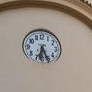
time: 6:25
